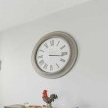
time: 3:16
